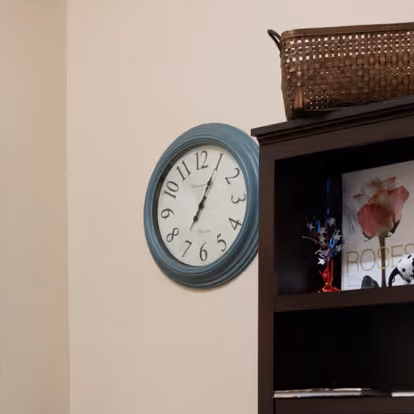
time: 7:04
